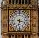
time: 6:16
